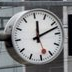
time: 12:12
